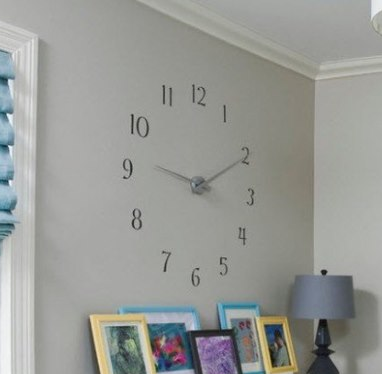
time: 9:10
